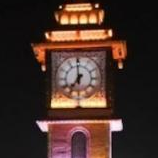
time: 6:59
